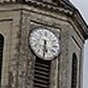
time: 5:31
